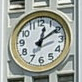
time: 12:09
